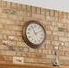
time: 11:10
